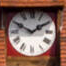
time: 1:49
